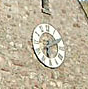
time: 6:10
